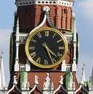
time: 4:26
